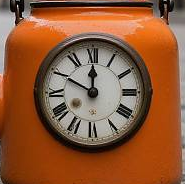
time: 11:49
